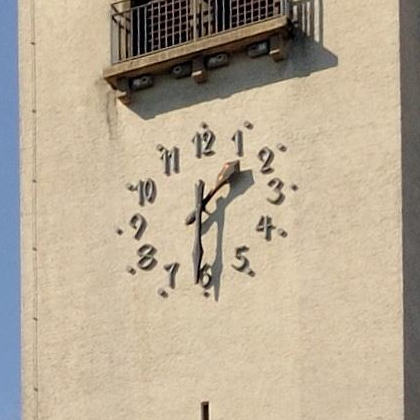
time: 1:30
